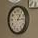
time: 1:13
